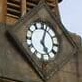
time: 5:03
